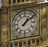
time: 1:08
